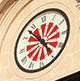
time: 4:52
